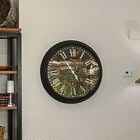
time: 4:54
